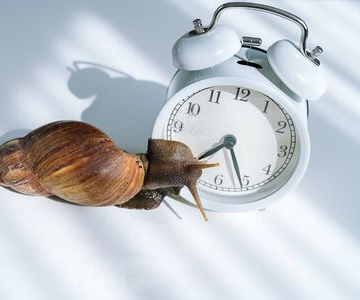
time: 7:25
